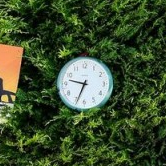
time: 9:34
